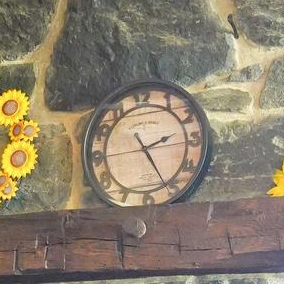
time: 2:25
